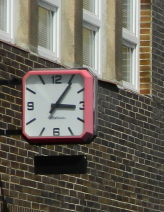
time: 3:05
